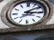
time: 3:08
